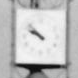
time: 9:51
